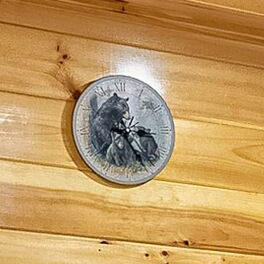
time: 3:24
